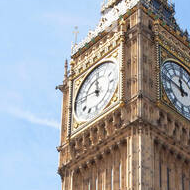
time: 11:46
